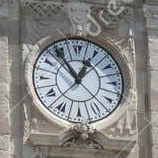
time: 12:54
